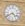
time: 4:40
